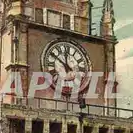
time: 11:50
